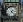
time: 1:22
